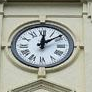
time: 12:08
